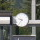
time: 9:36
